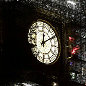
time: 12:09
